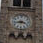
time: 3:43
